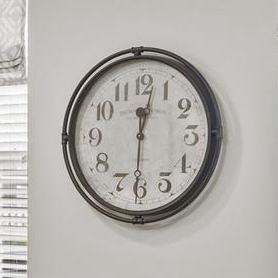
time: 12:02
